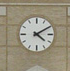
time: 4:09
